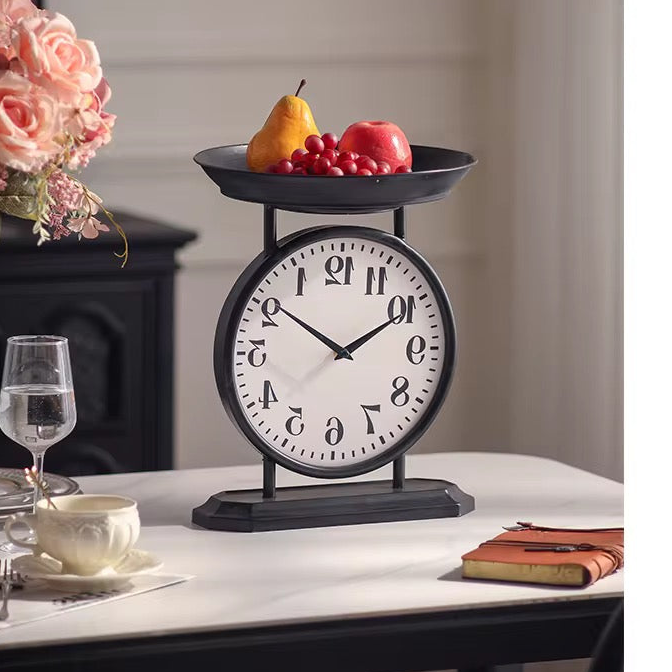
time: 1:50
